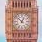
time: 12:52
